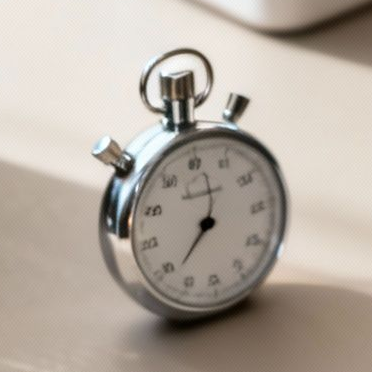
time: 12:37
